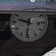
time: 9:31
